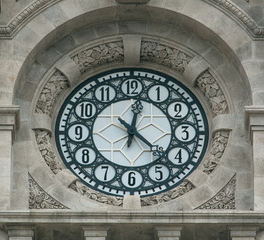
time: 12:22
